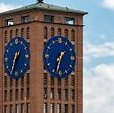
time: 1:33
